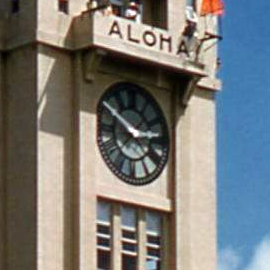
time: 2:49
